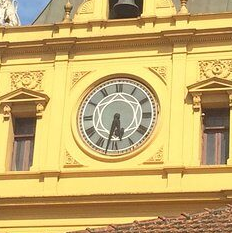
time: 5:32
